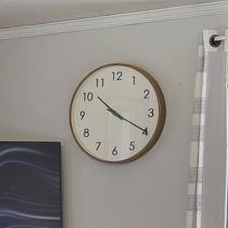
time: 10:19
